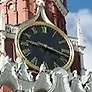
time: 9:17
